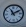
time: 11:10
